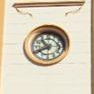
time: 10:40
